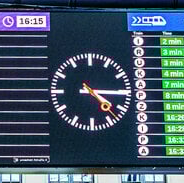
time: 4:15
